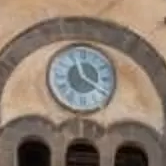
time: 11:20
